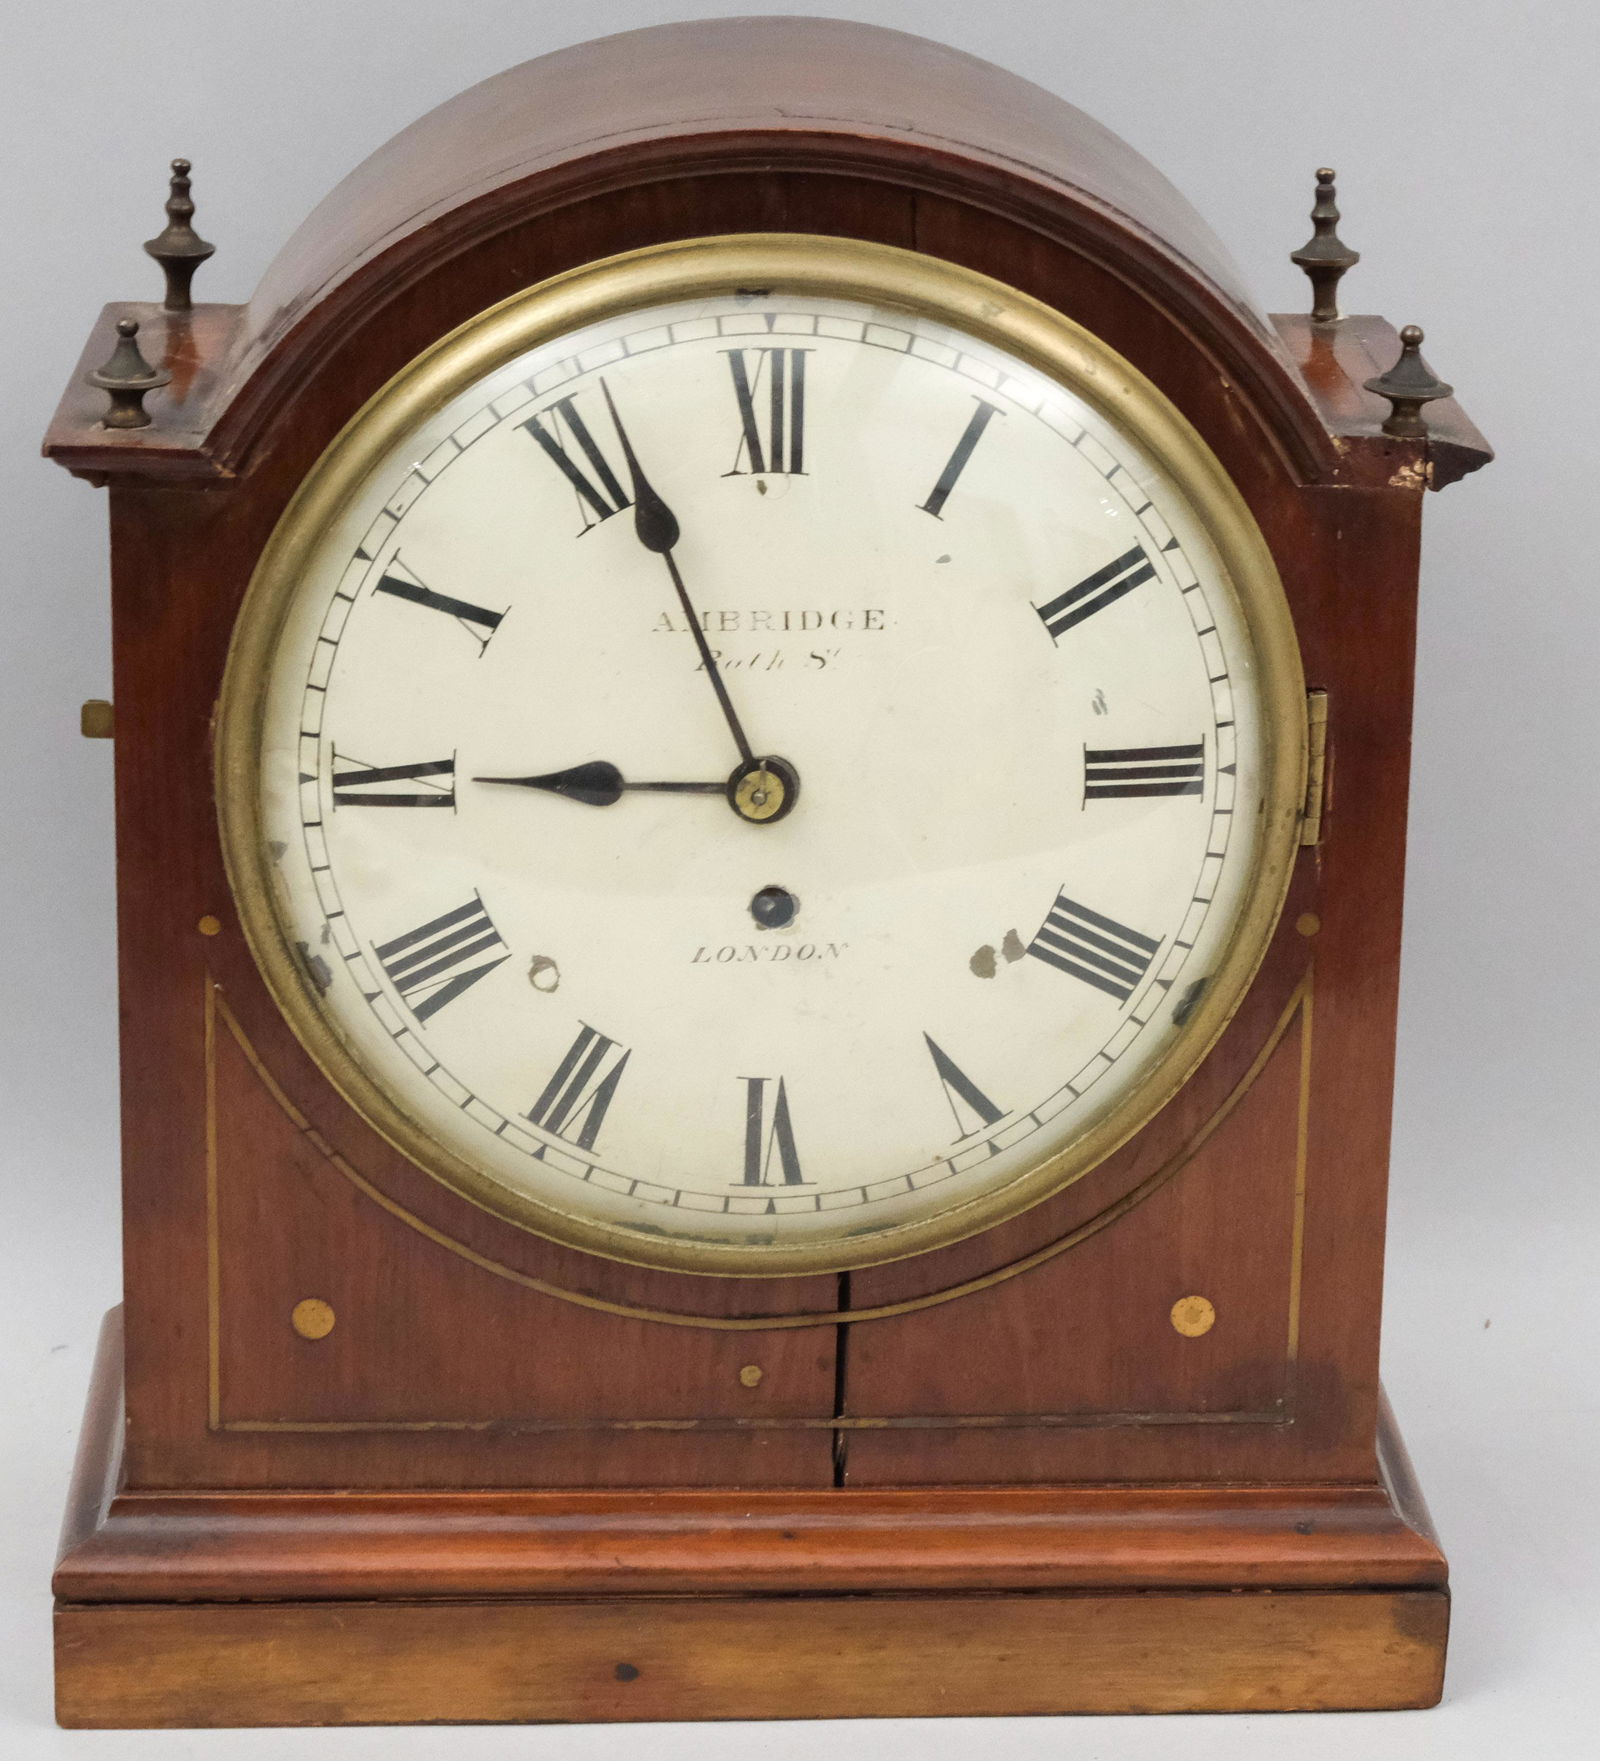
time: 8:56
